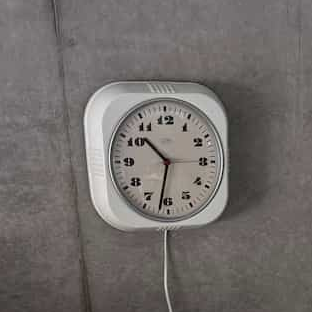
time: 10:32
